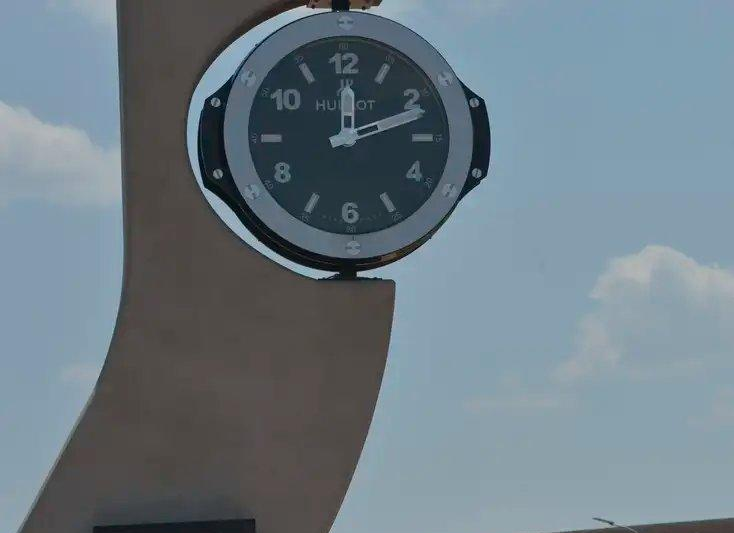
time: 12:11
